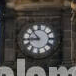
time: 8:53
